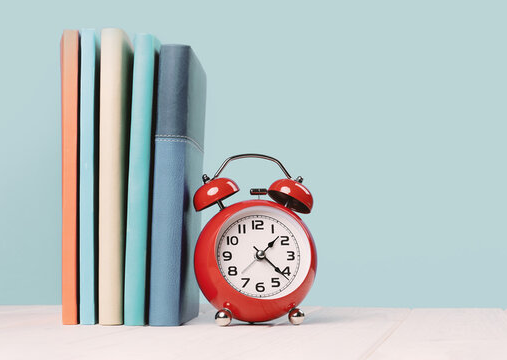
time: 1:21
